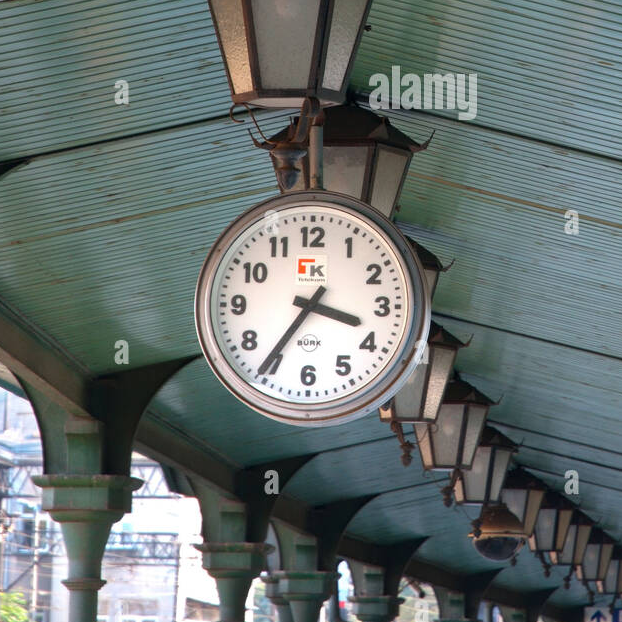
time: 3:35
